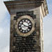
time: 10:17
